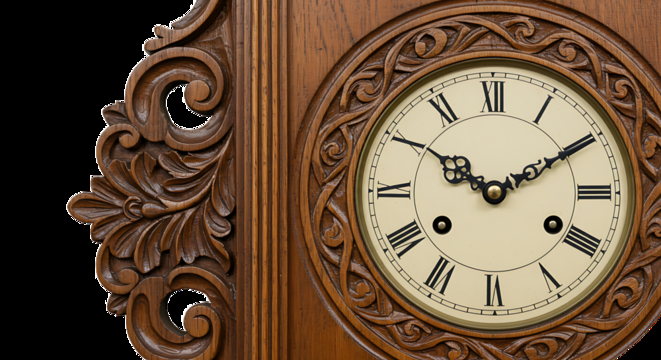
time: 10:10
